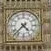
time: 4:37
